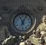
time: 11:04
